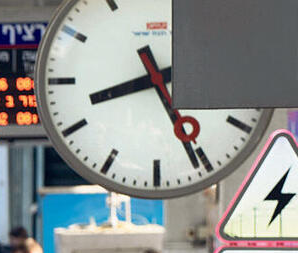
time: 8:25
